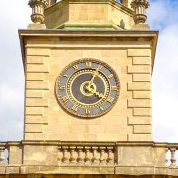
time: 4:04
